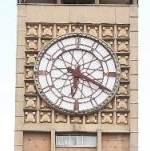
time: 6:19
